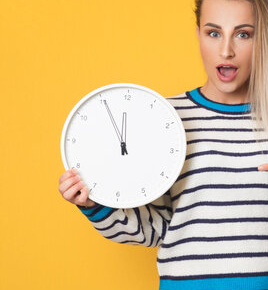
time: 11:55
